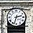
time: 2:33
